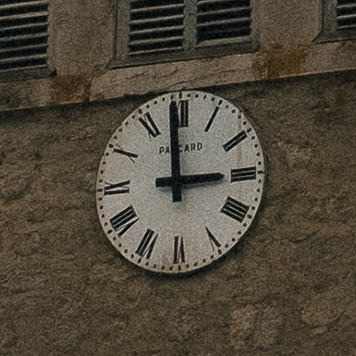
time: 2:58
